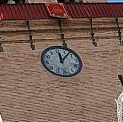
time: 12:07
